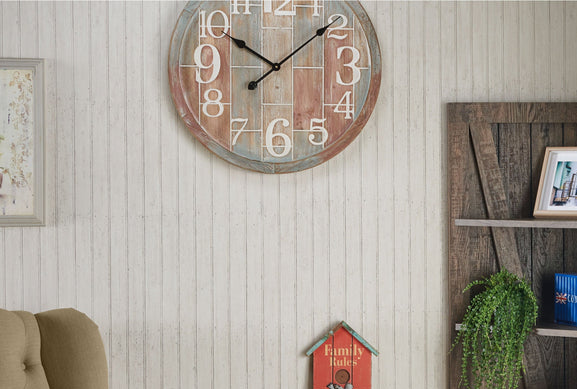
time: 10:08
